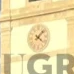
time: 4:07
